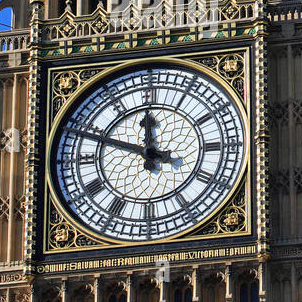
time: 11:48
